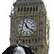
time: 11:21
